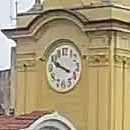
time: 9:48
